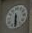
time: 6:29
